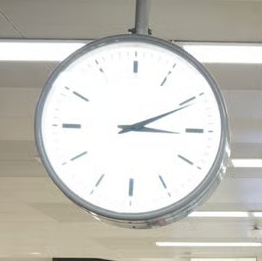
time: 3:10
